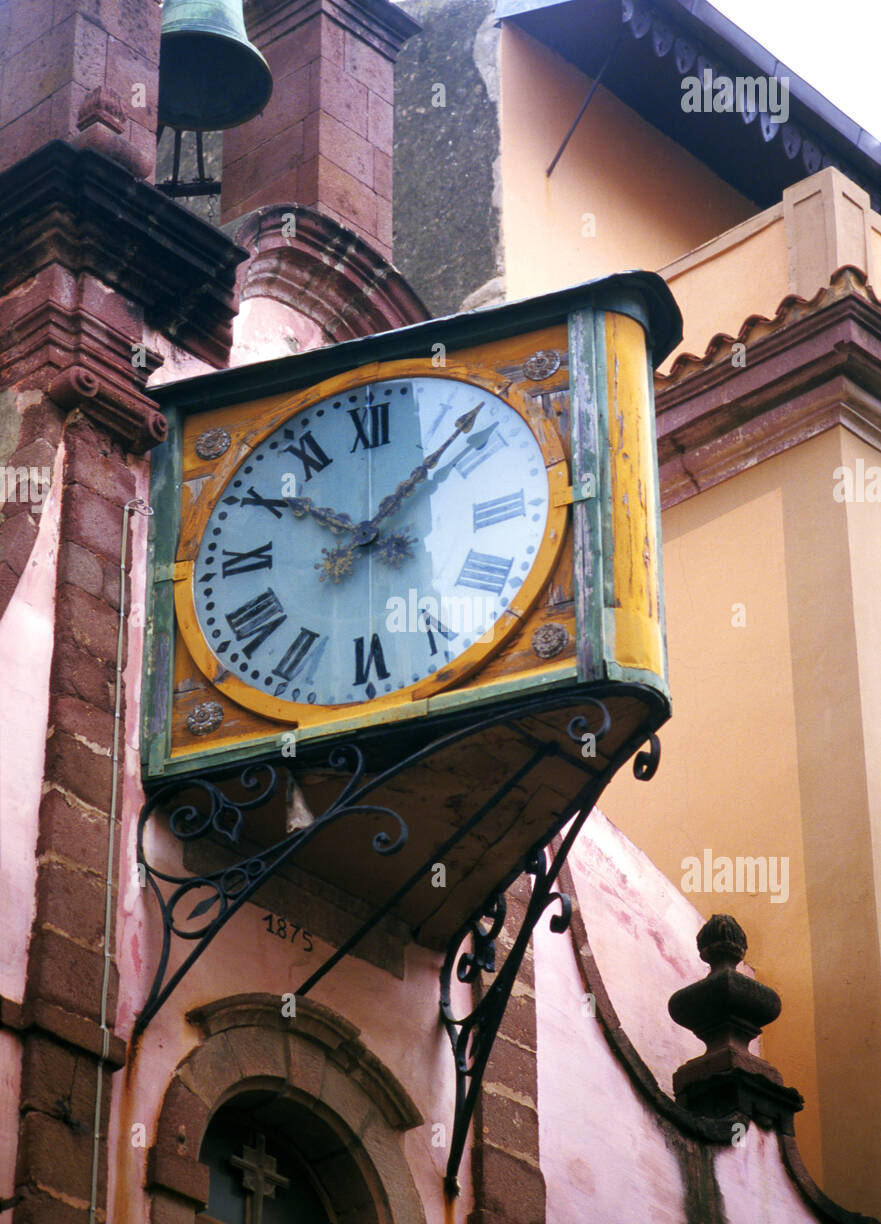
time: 10:07
